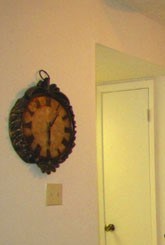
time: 6:06
